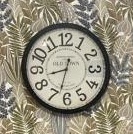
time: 8:32
